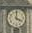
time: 4:00
